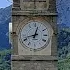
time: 12:42
